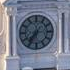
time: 7:36
